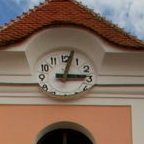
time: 3:02
